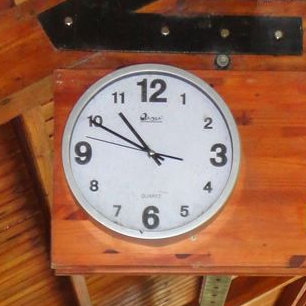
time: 10:49
